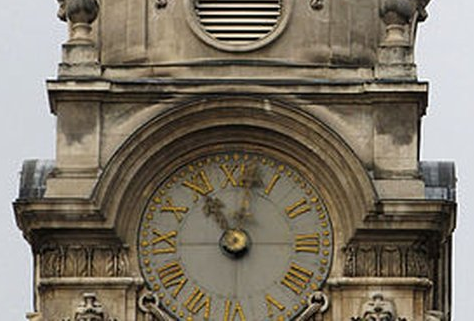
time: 11:02
